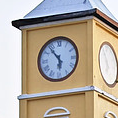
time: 5:53
